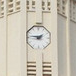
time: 1:46
